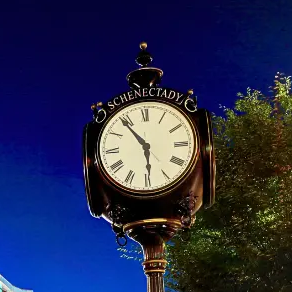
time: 5:53
